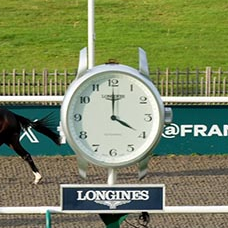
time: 4:00
